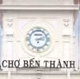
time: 3:11
